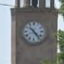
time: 10:23
